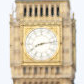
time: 8:13
